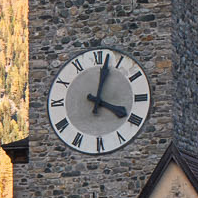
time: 4:02
